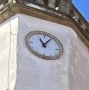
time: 11:05
